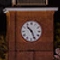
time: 10:26
